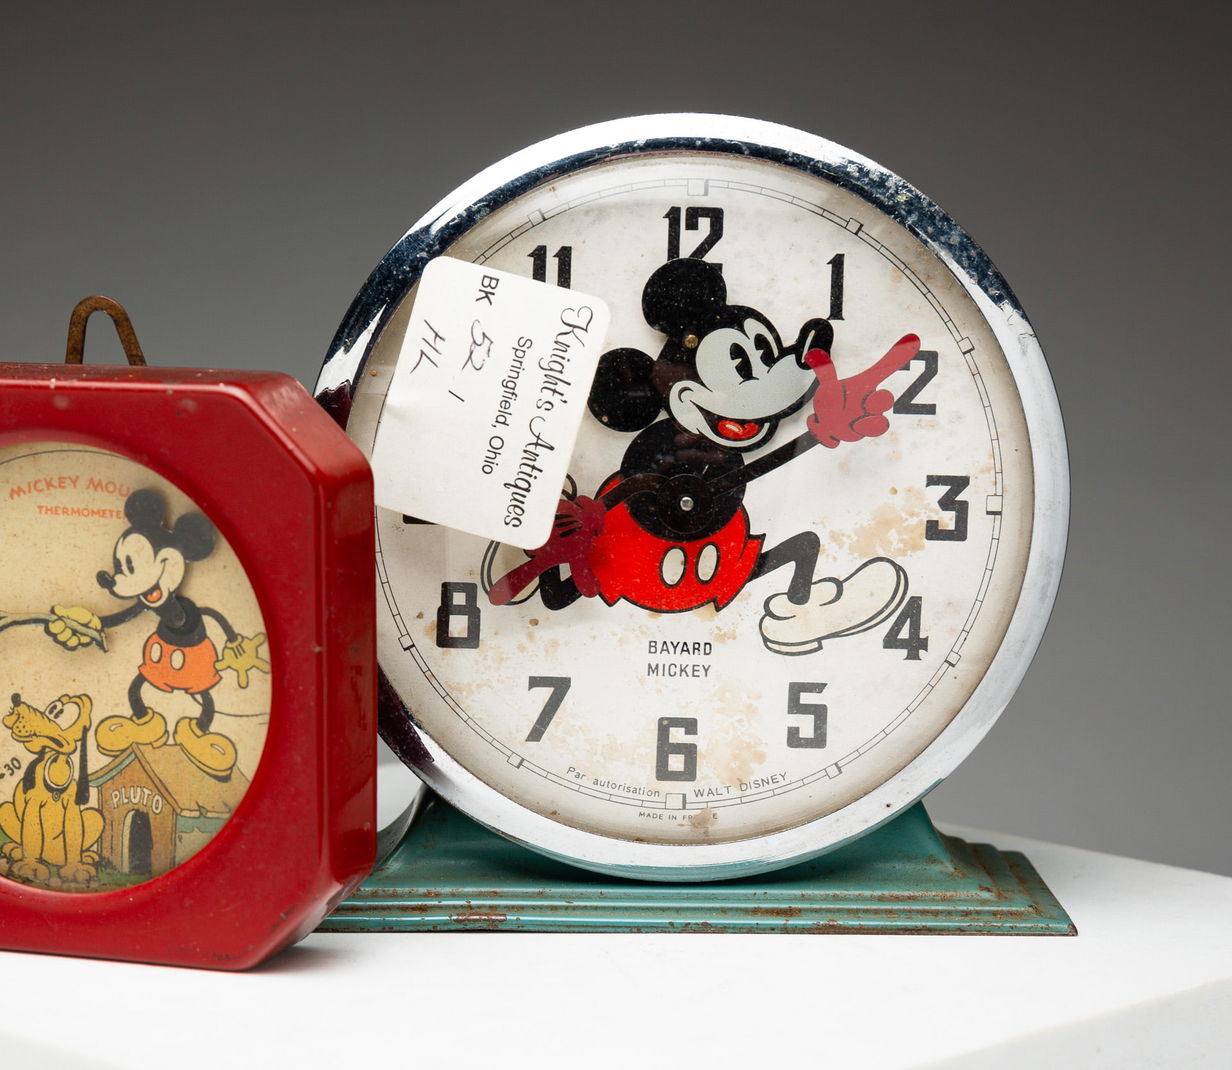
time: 12:09
